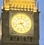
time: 4:42
